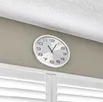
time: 11:04
